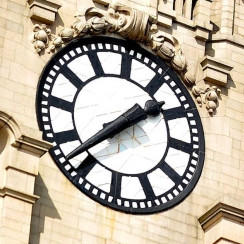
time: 1:37
